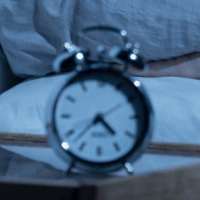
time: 4:37
